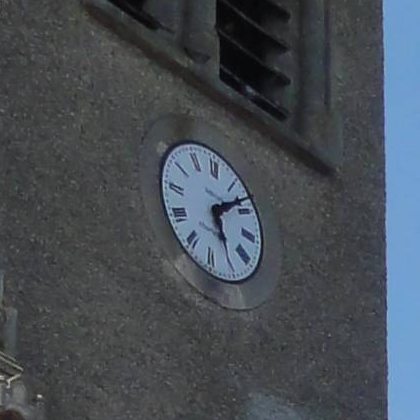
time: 5:08
